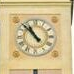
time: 10:52
